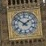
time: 1:51
